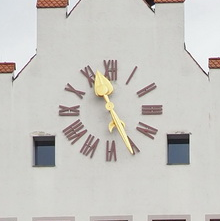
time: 11:25
